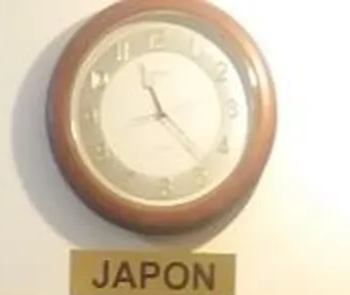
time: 11:23
